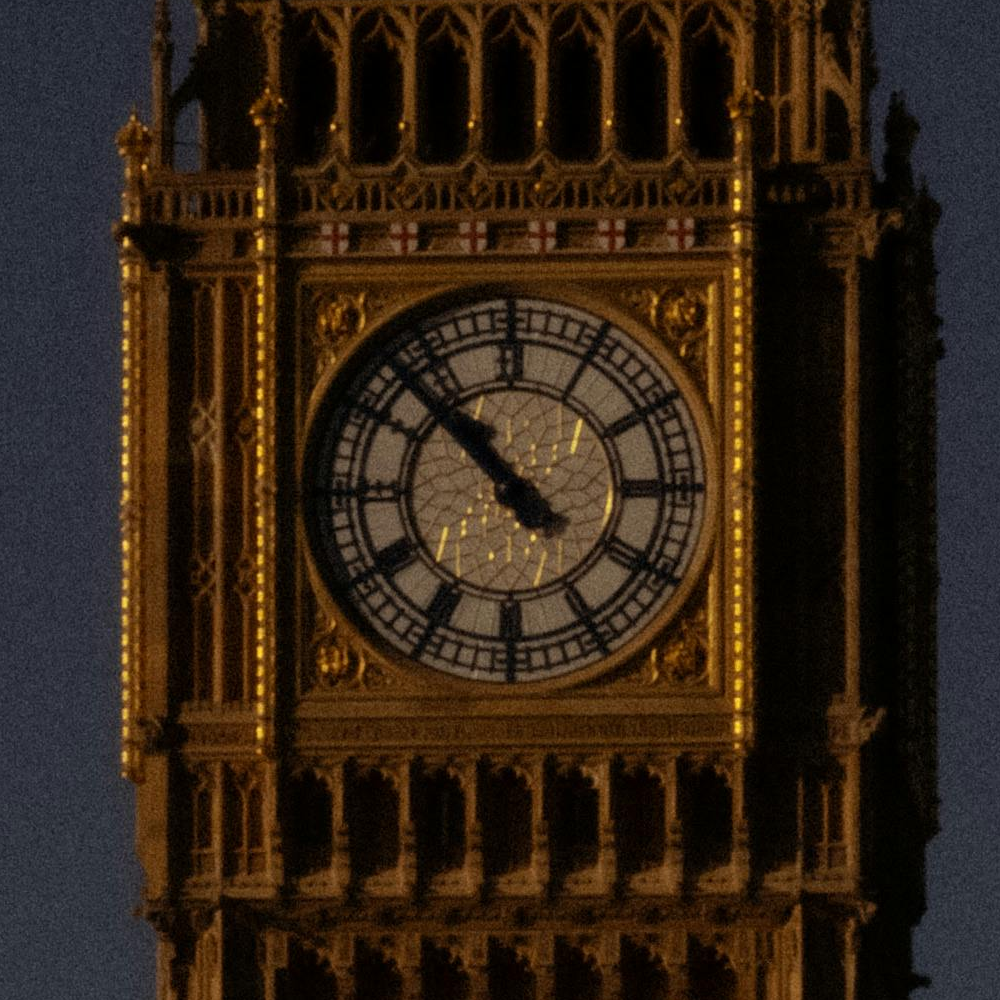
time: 10:52
